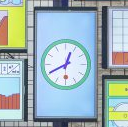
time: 12:40
